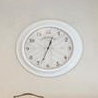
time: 12:33
